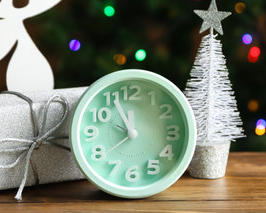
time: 11:55
